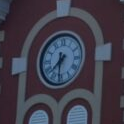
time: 7:30
